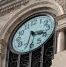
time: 3:32
